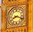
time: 8:18
